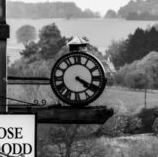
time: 4:19
